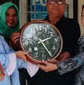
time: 2:24
